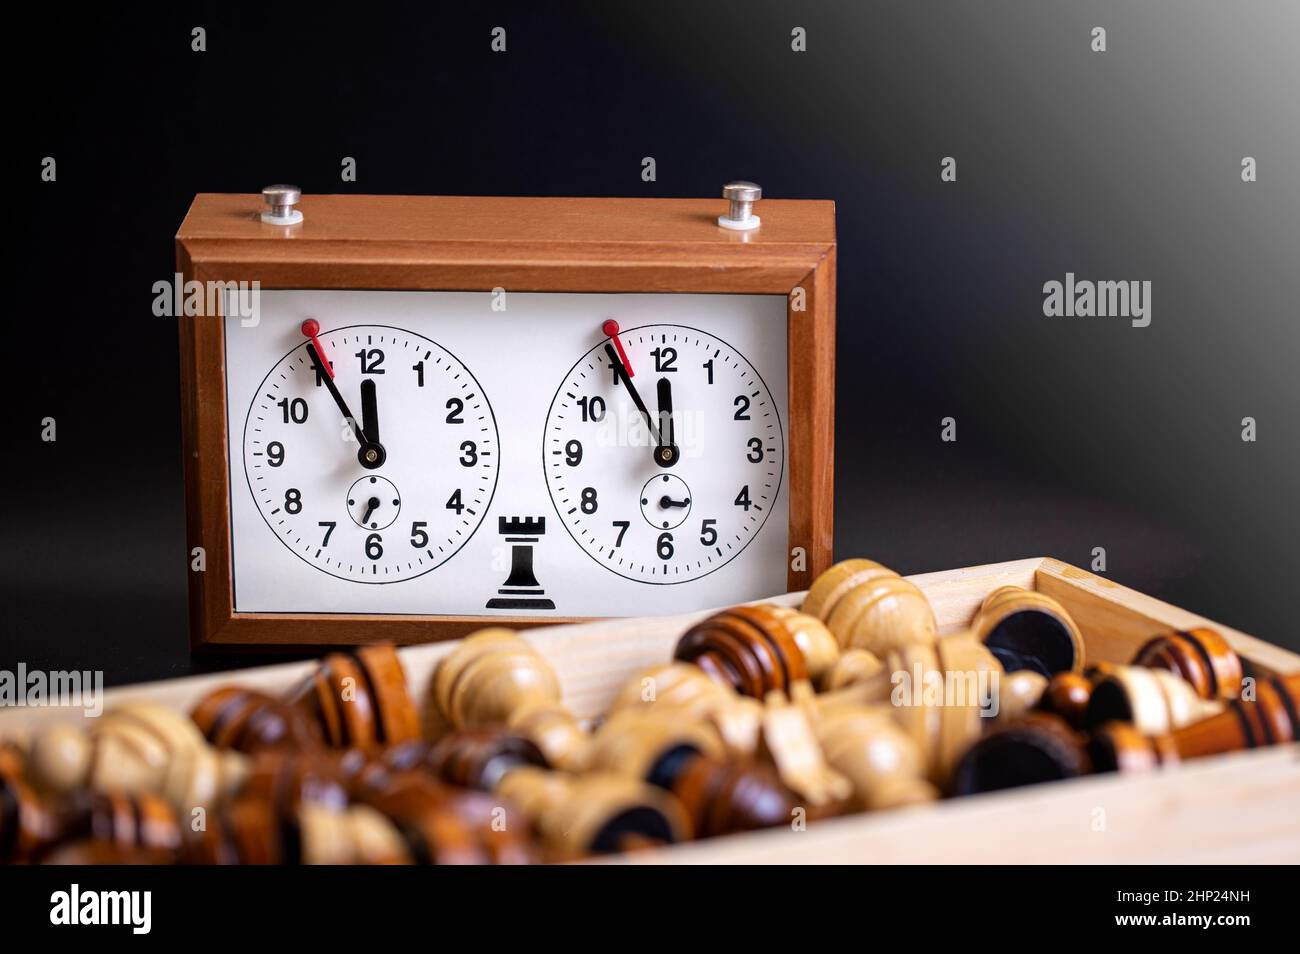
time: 11:55
